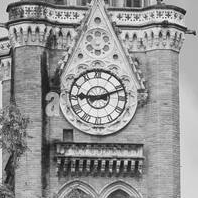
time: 9:11
